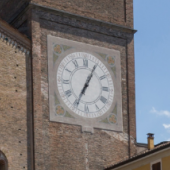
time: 7:04
